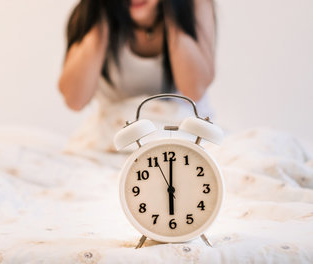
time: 6:00
